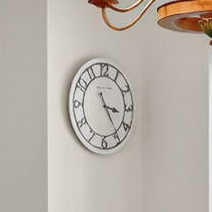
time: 3:24
